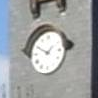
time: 1:49
